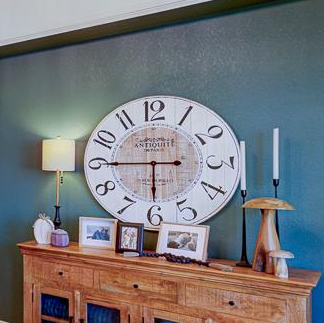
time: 5:45
